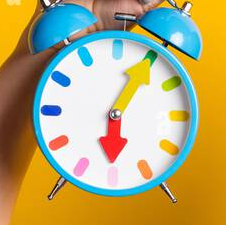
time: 6:05
